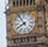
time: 7:54
